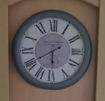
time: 5:40
